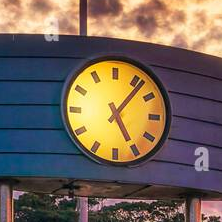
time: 5:06
